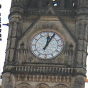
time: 12:04
